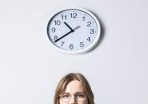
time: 10:38
